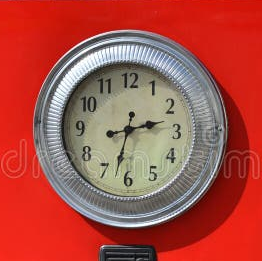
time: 2:32
